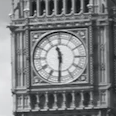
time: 11:30
